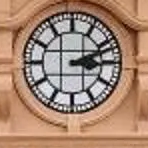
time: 3:11
